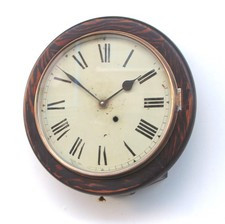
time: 1:51
